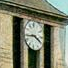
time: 3:43
